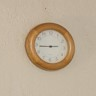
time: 2:44
